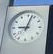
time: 9:02
